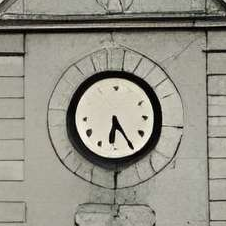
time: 6:24
